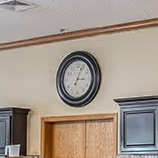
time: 3:04
